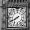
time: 7:40
